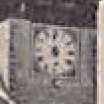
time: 5:59
